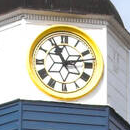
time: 11:13
